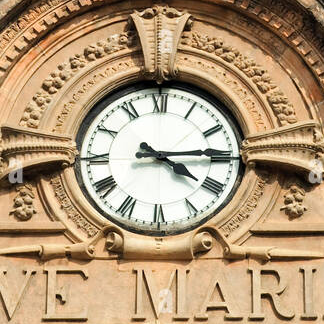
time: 4:14
